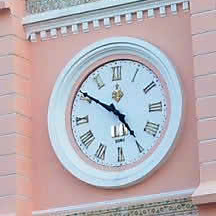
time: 4:50
